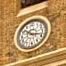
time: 10:17
